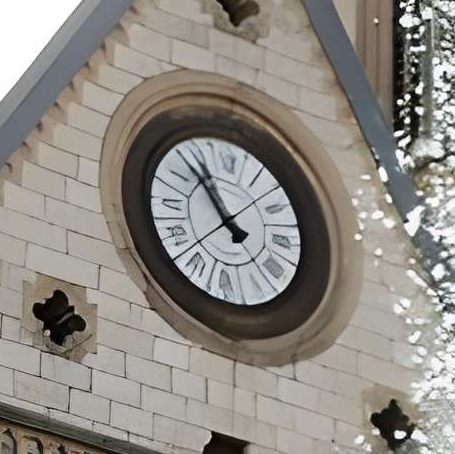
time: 10:52
